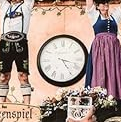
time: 3:24
